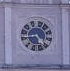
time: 4:42
